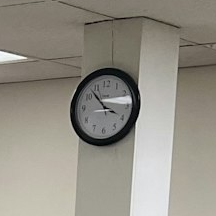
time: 3:52
